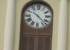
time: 10:22
